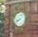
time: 8:38
